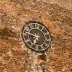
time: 6:47
